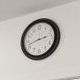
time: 2:42
